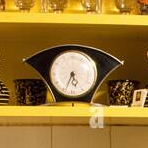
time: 5:33
